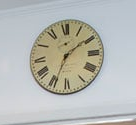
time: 1:34
